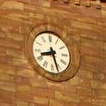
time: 8:27
